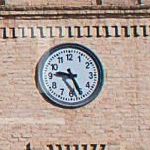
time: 9:25
